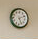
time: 5:12
